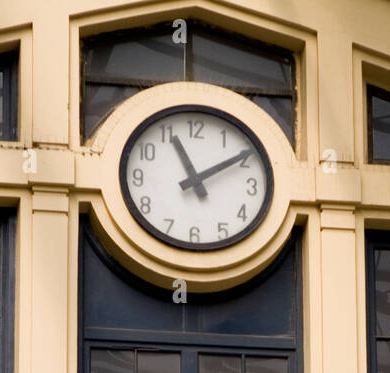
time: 11:09
